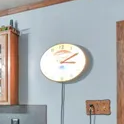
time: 3:09
